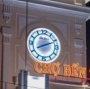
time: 8:10
